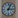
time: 3:04
